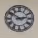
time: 2:50
